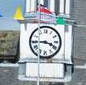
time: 3:44
